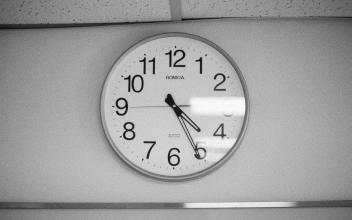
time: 4:25
